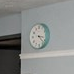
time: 3:22
